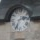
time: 2:34
